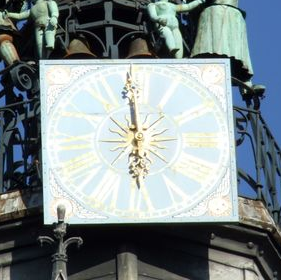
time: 5:59
